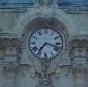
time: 7:17
